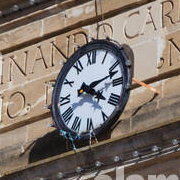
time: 4:12
